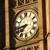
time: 7:43
